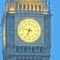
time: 6:47
